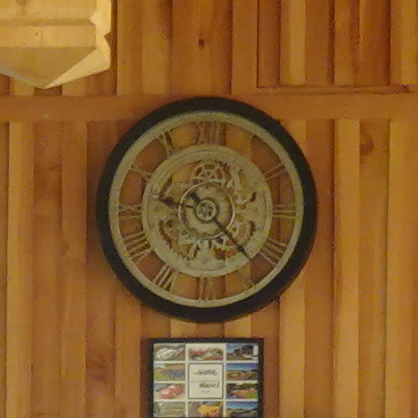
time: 9:23
